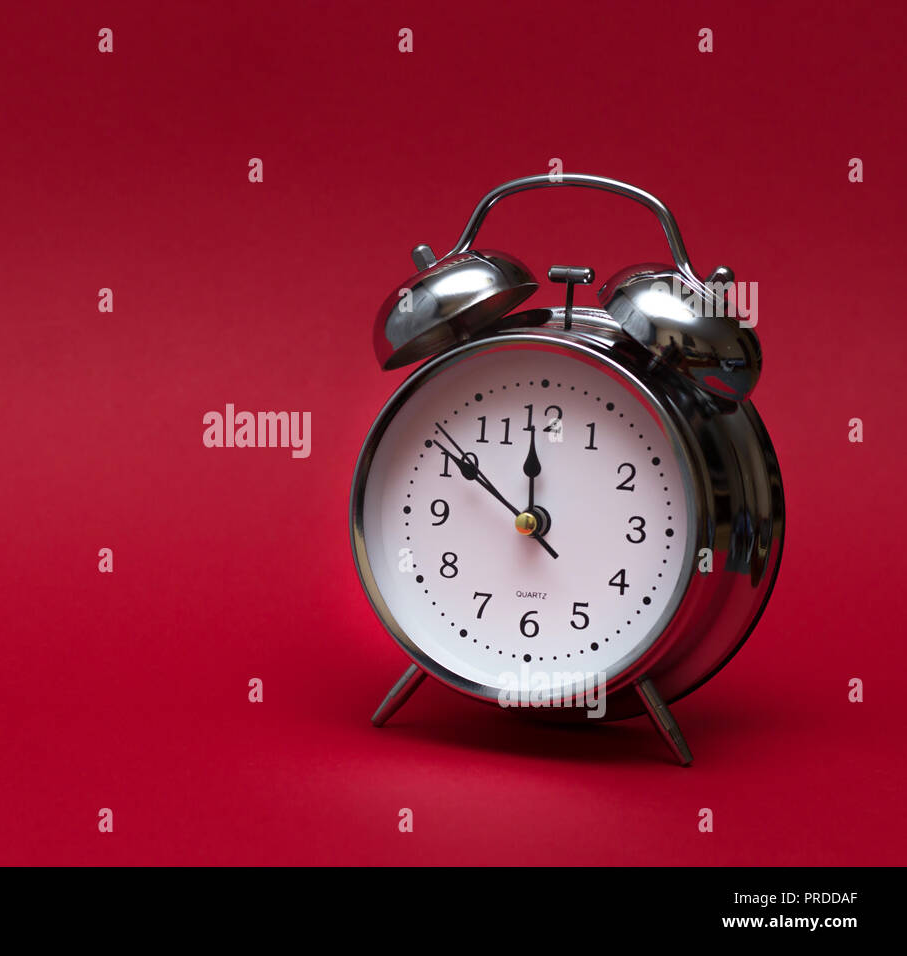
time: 11:50
